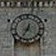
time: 12:35
